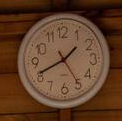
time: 1:41
